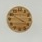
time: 3:50
